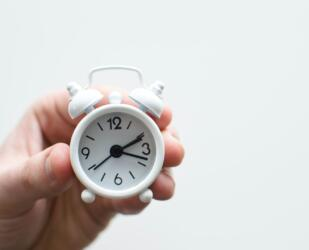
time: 2:18
